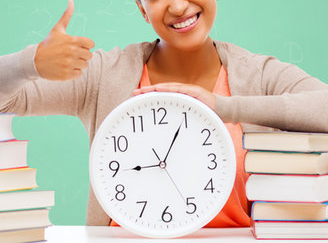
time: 9:04
